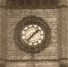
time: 1:37
